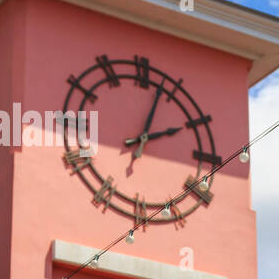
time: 2:03
